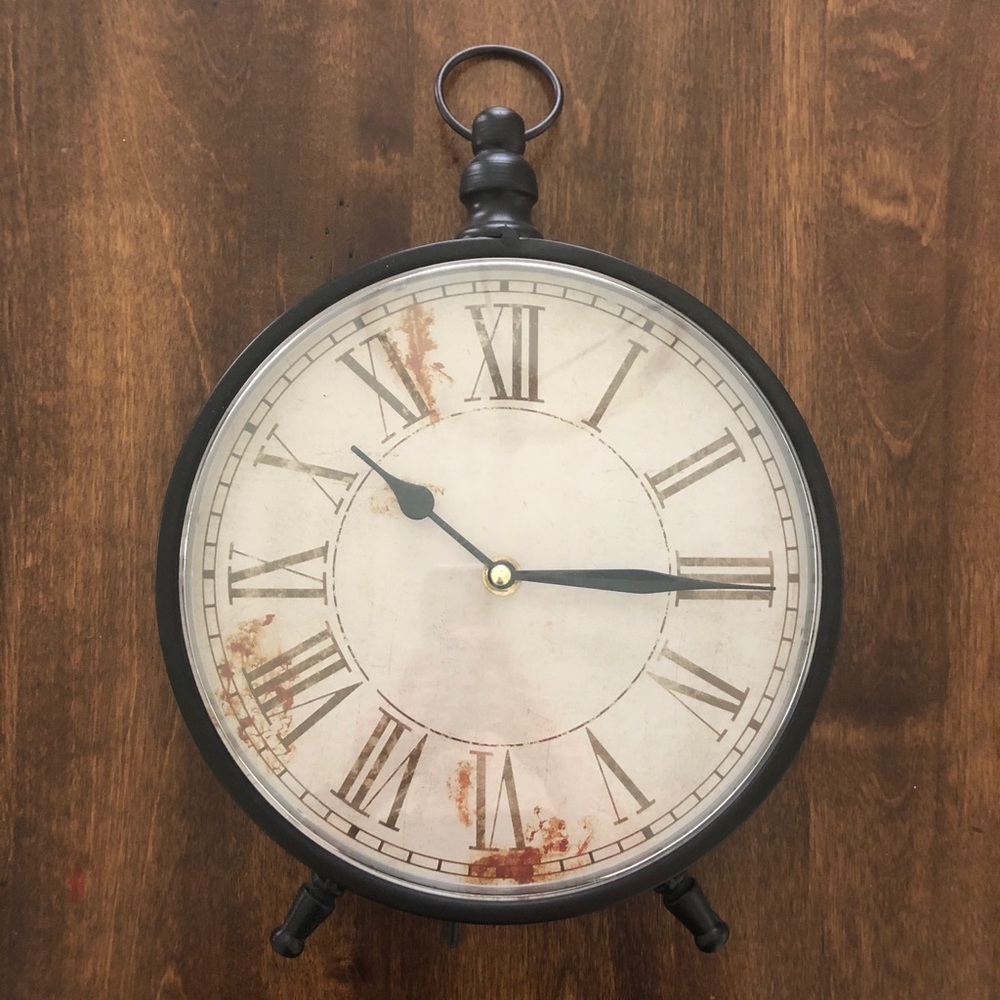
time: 10:14
